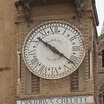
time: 10:21
